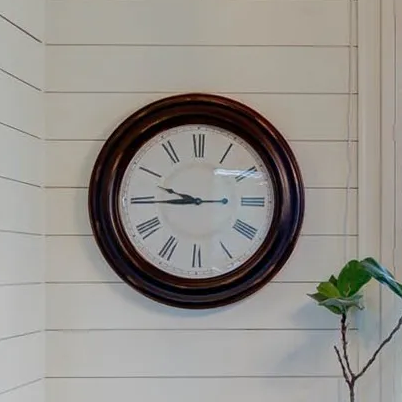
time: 9:44
